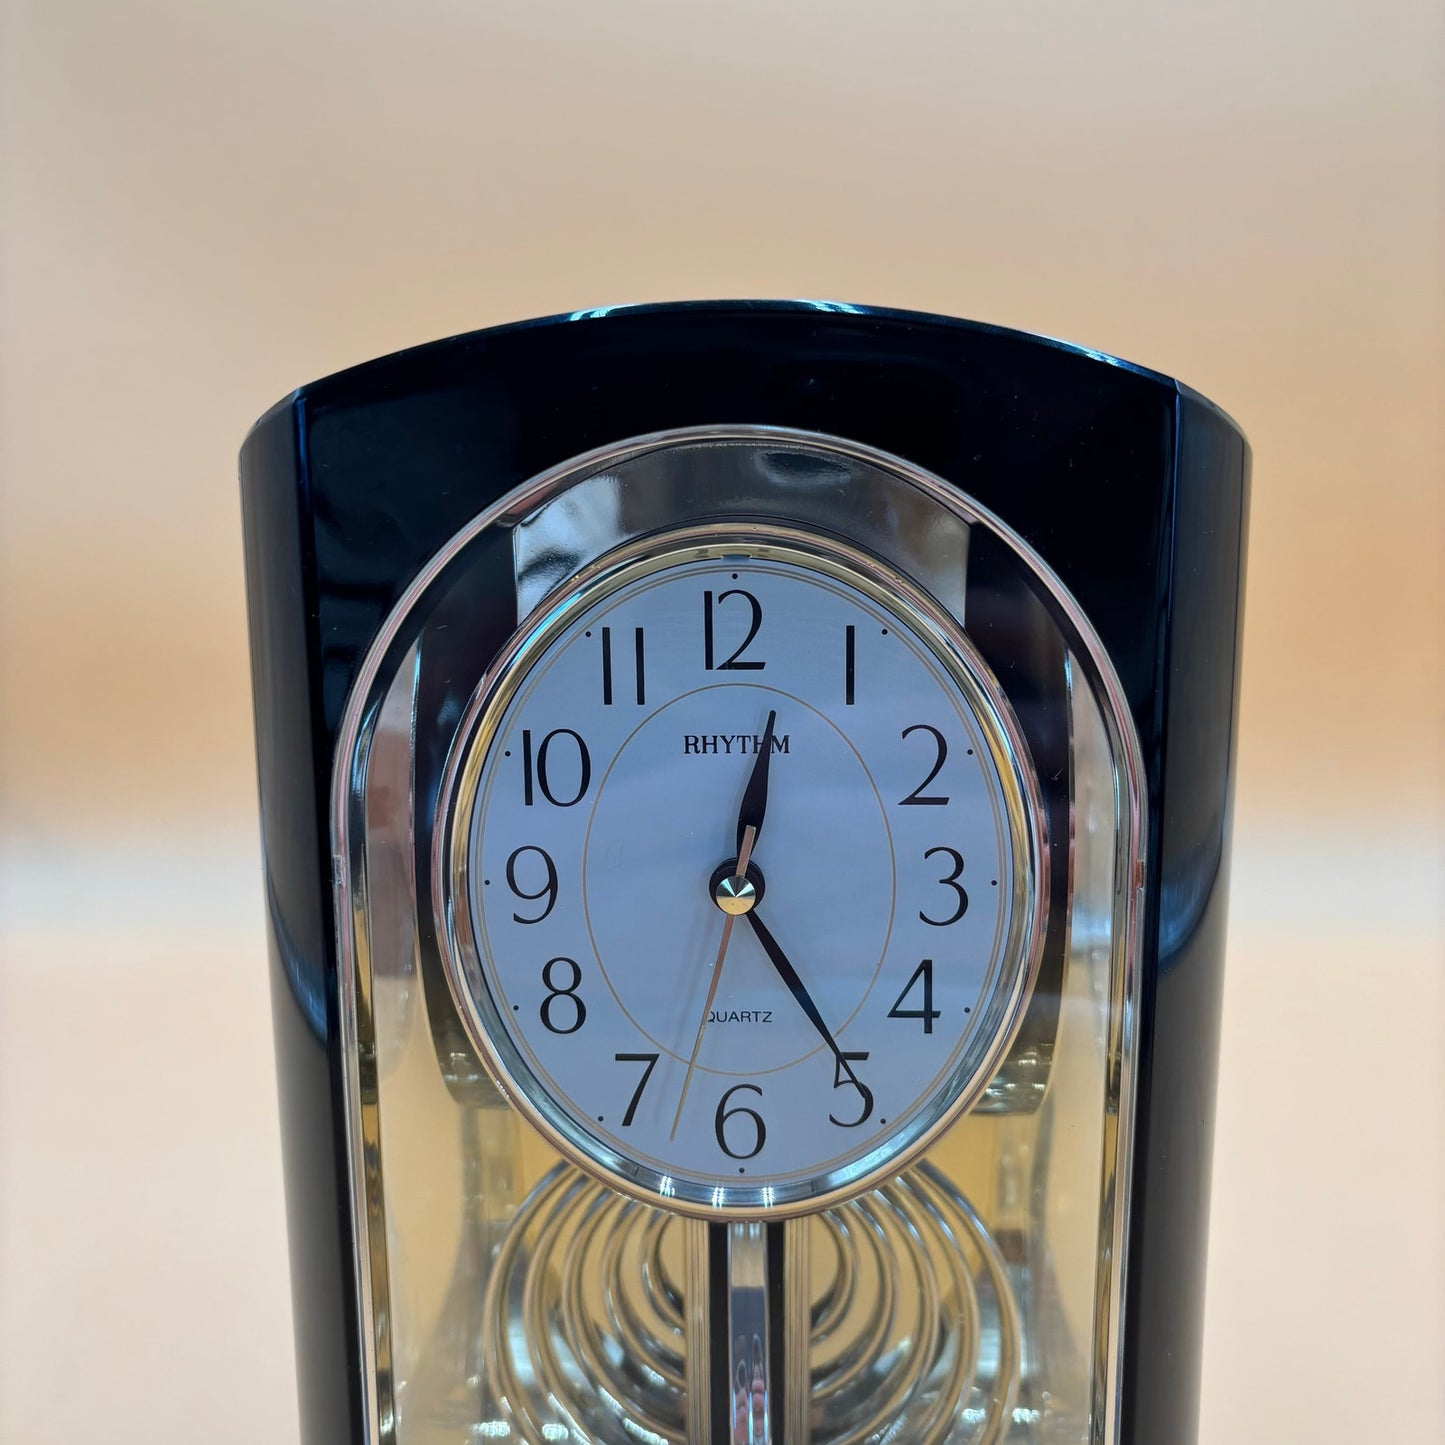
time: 12:24
